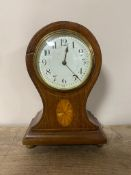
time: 12:23
